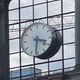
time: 3:31
